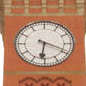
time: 6:19
